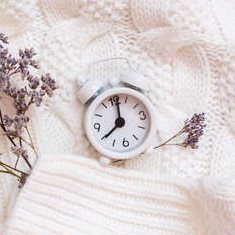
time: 8:01
